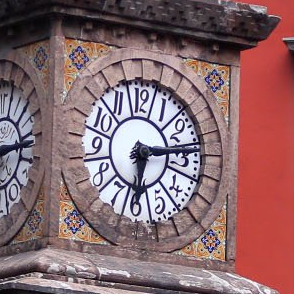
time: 6:13
